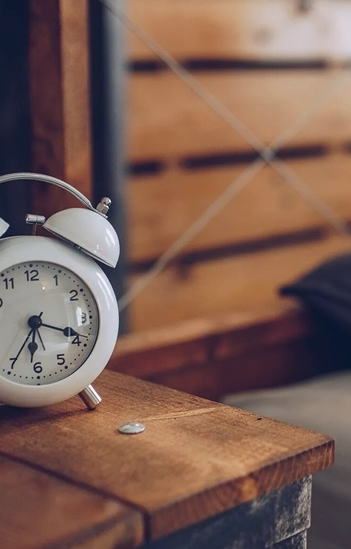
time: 6:18
